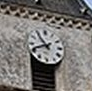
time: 10:41
